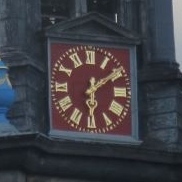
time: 6:09
